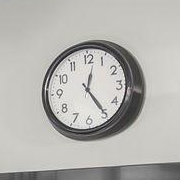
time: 12:24
